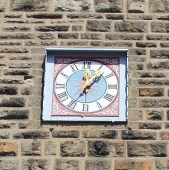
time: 7:07
